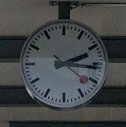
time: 2:16
